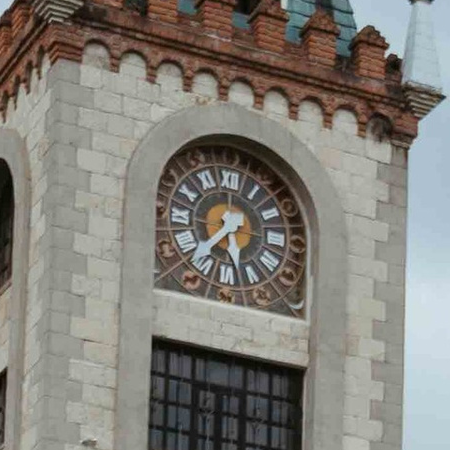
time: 7:28
